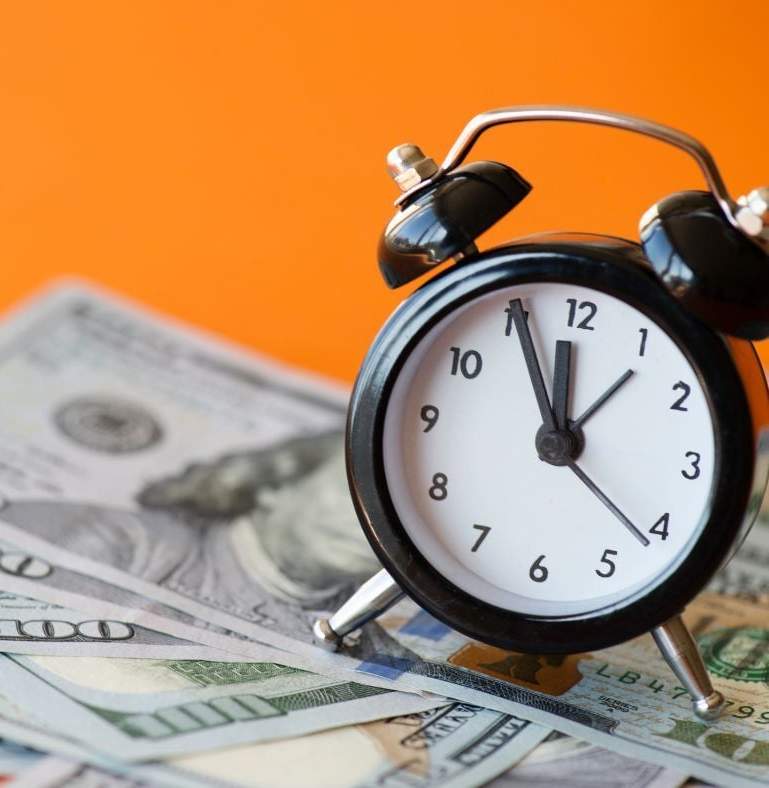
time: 11:55
